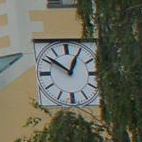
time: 12:51
